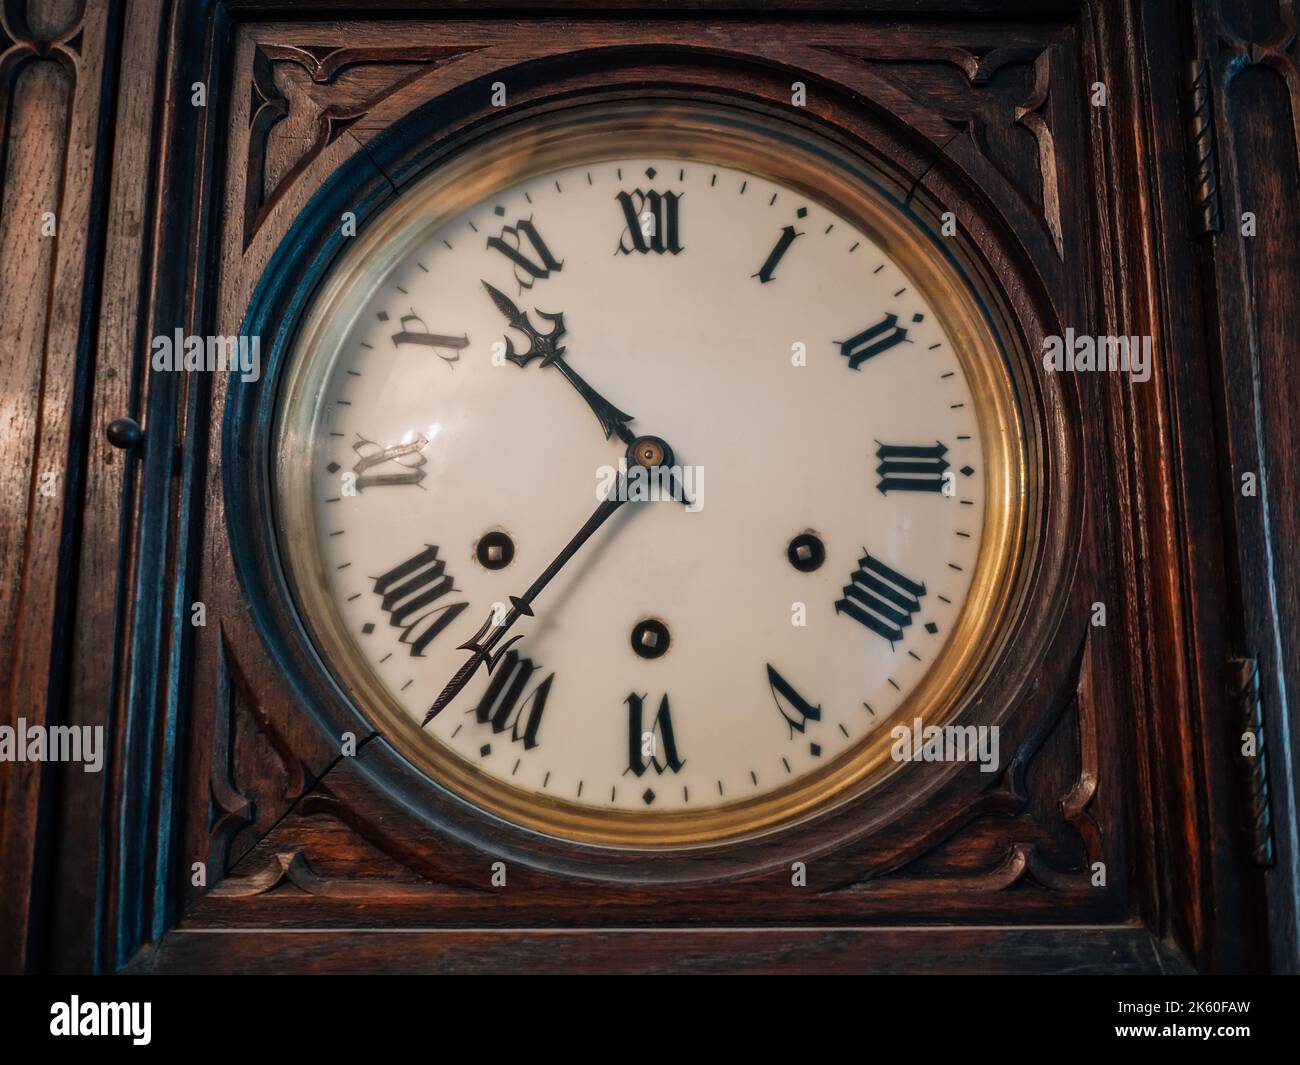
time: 10:36
